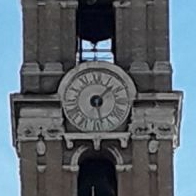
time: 1:28
